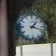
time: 1:18
